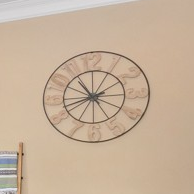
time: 10:42
